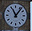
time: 11:06
